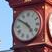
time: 4:50
